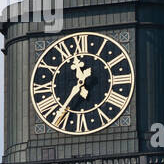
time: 11:36
